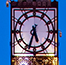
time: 5:33
